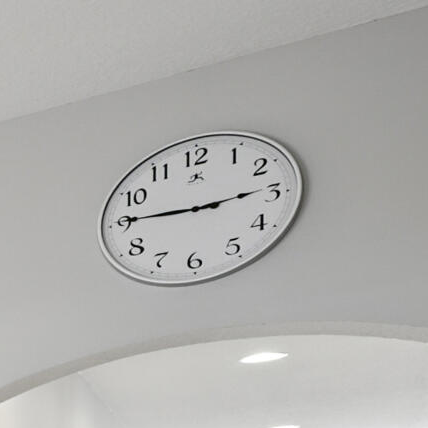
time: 2:45
